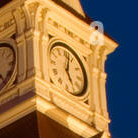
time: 5:02
